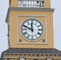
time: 11:48
